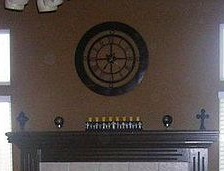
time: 7:00
